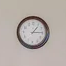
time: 1:14
